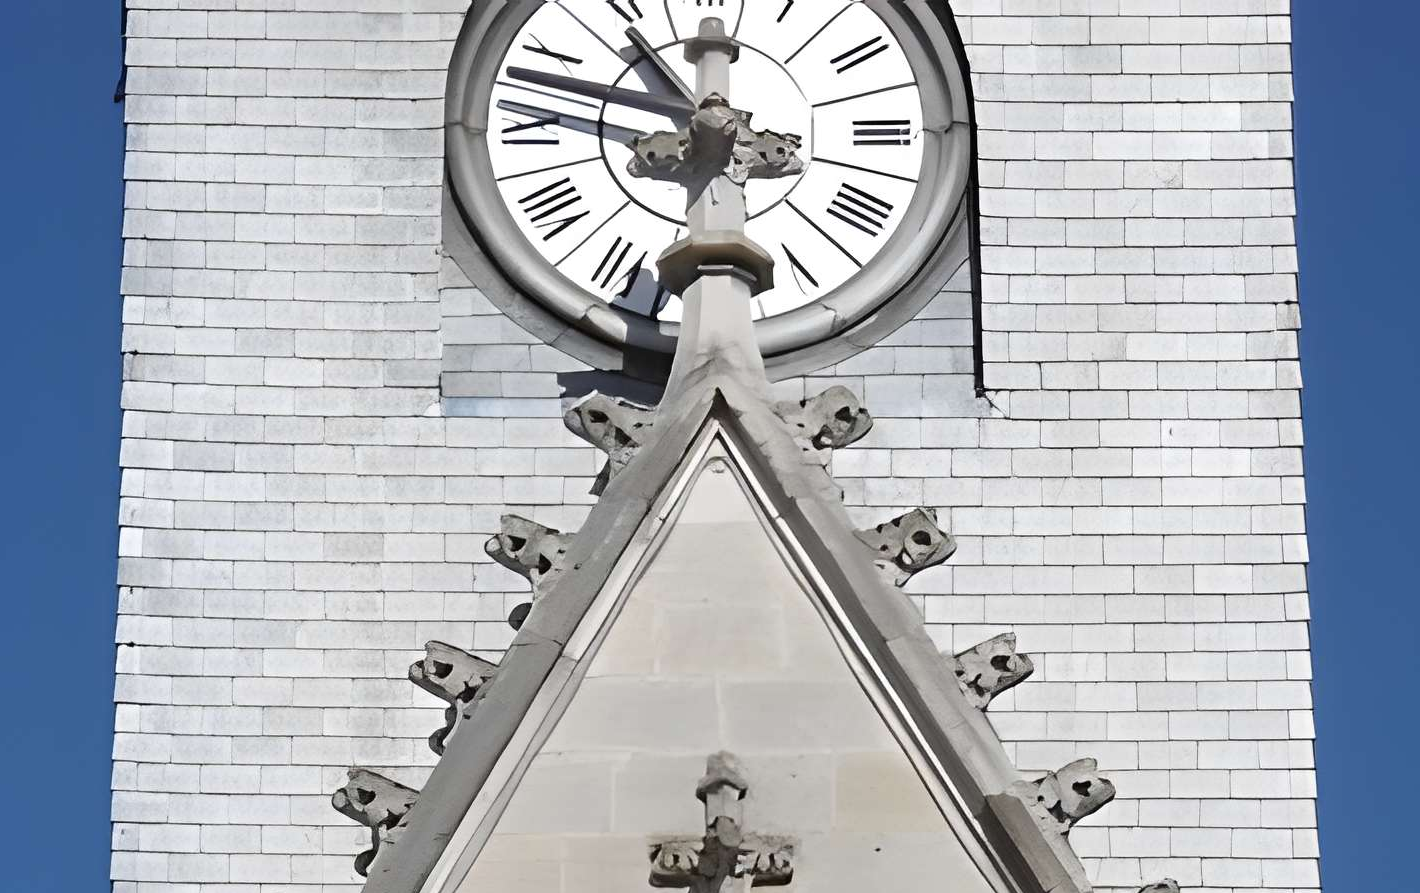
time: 10:47
